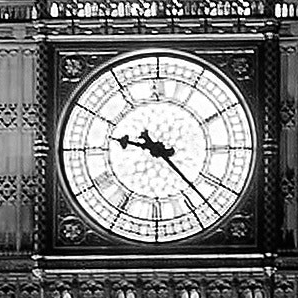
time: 9:22
